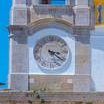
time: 3:21
